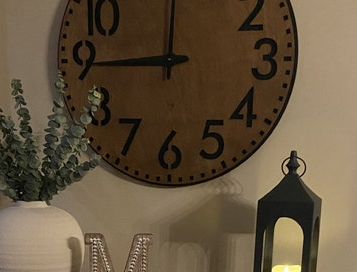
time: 11:44
